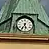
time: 5:35
